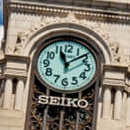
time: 11:08
